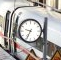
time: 9:34
